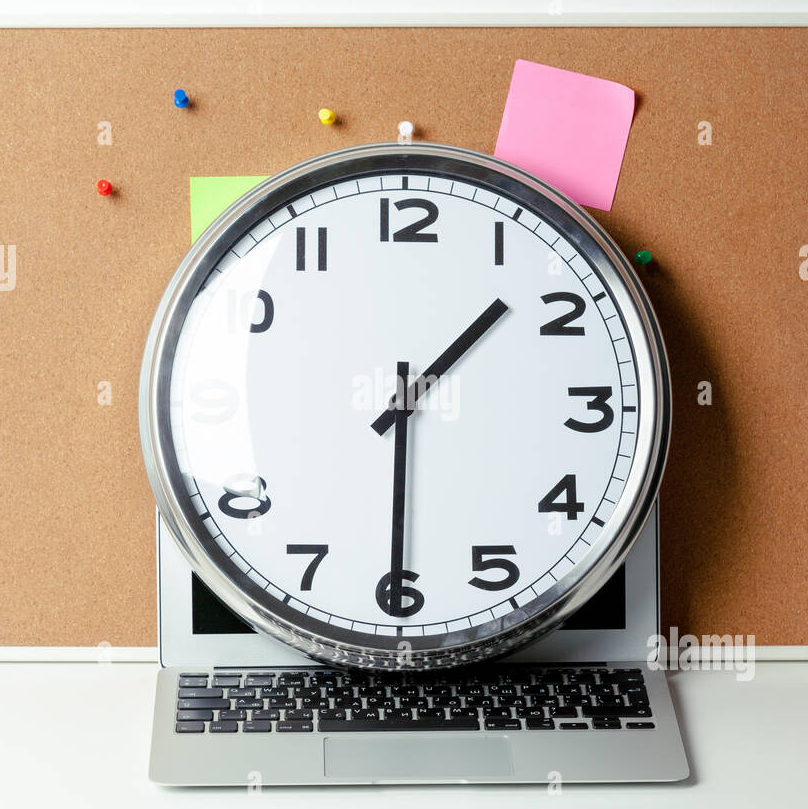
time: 1:30
